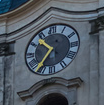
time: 10:36
